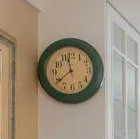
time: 11:38
